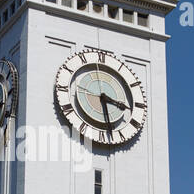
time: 3:28
